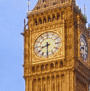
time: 8:30
